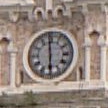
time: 5:59
